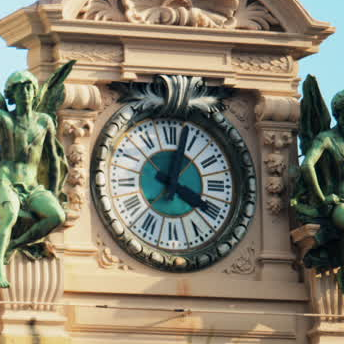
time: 4:03
